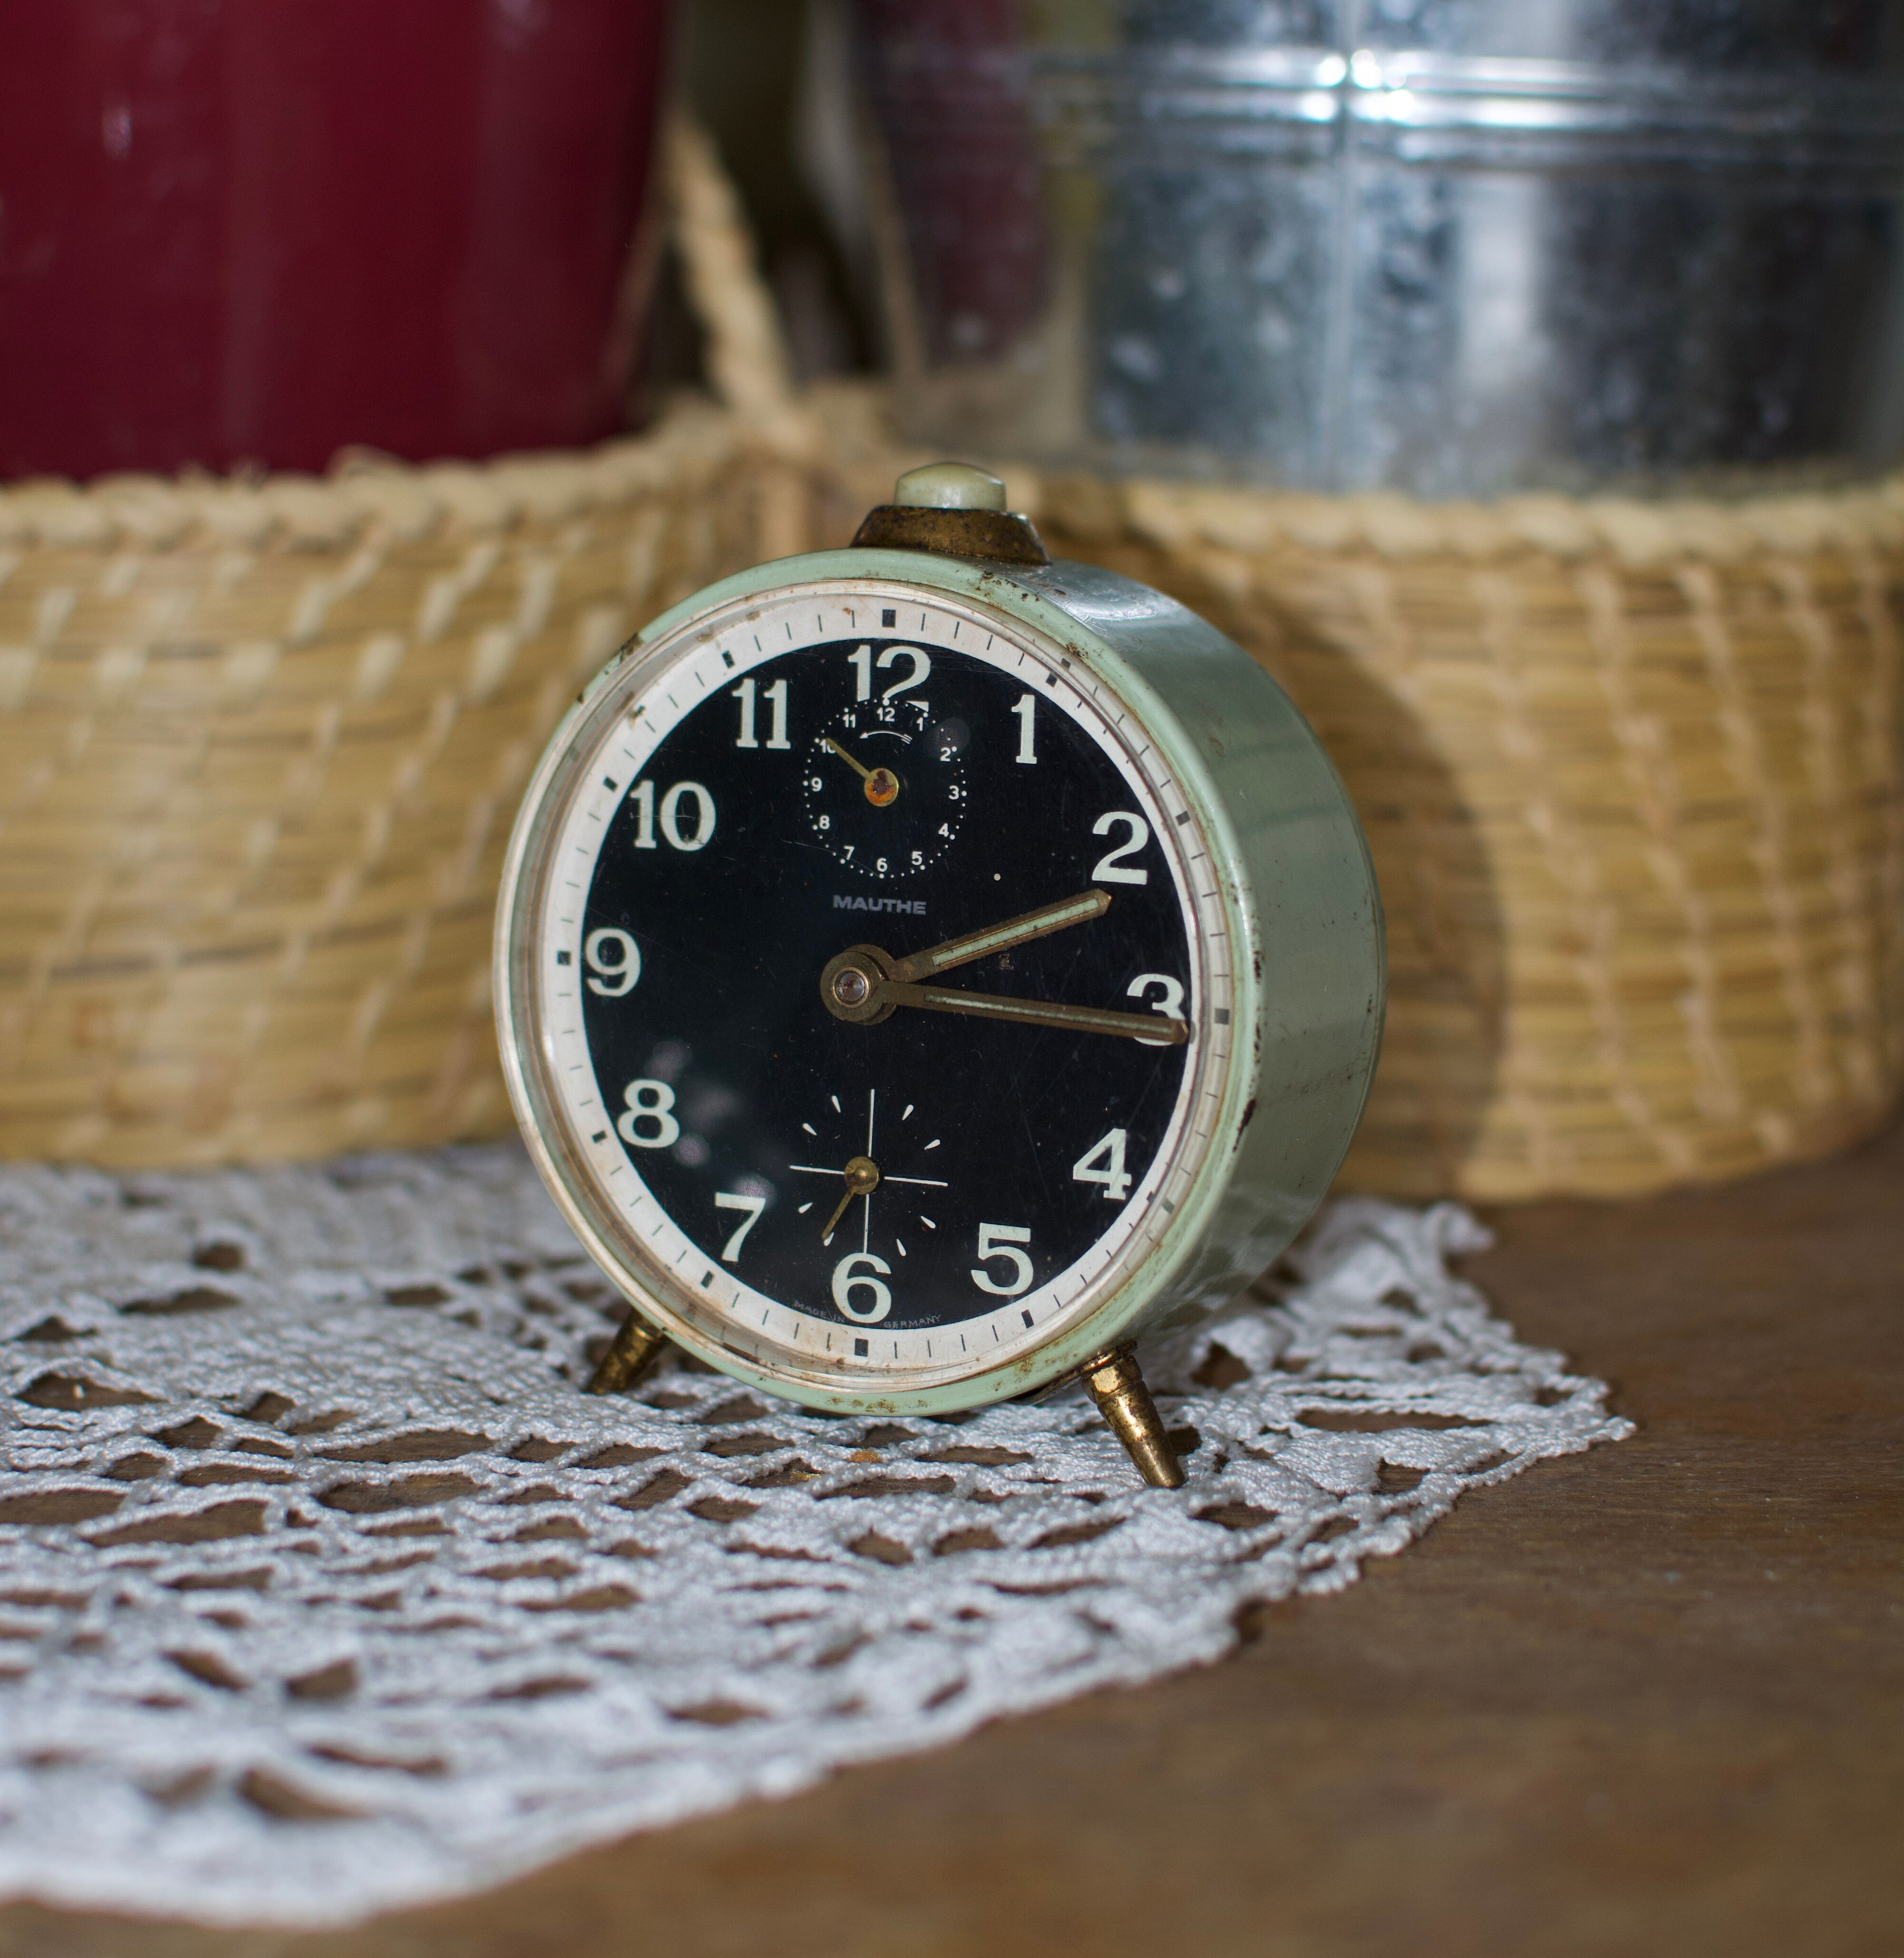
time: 3:11
